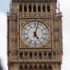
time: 5:02
